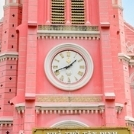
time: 1:41
